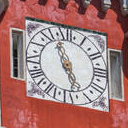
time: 4:56
